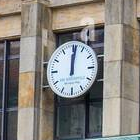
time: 12:01
